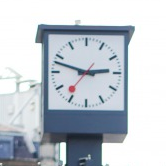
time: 2:47
